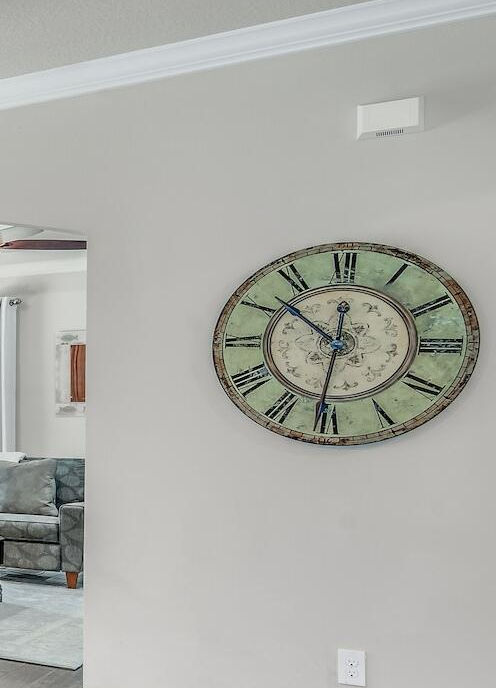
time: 10:31
